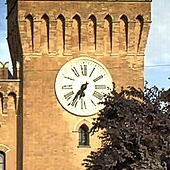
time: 6:36
